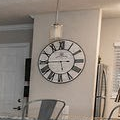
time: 5:44
